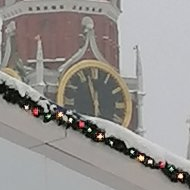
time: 11:57
